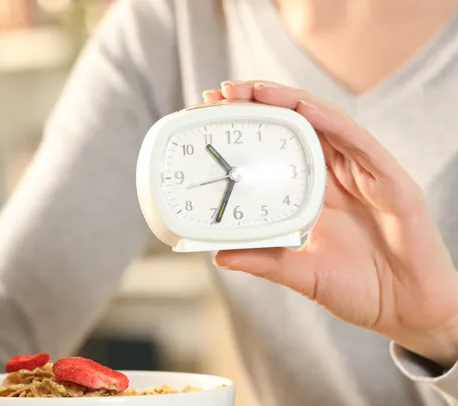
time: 10:33
